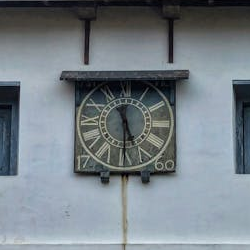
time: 11:30
